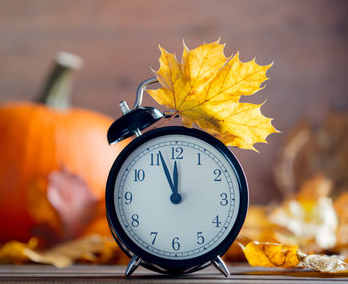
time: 11:56
